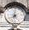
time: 8:01
